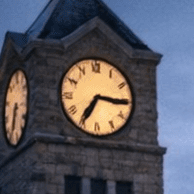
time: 7:15
